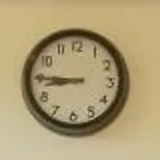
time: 8:45
